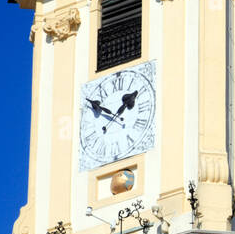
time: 1:50
